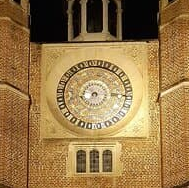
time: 7:14
